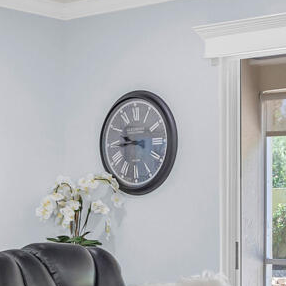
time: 9:44
